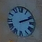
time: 2:11
